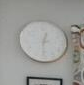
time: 12:30
